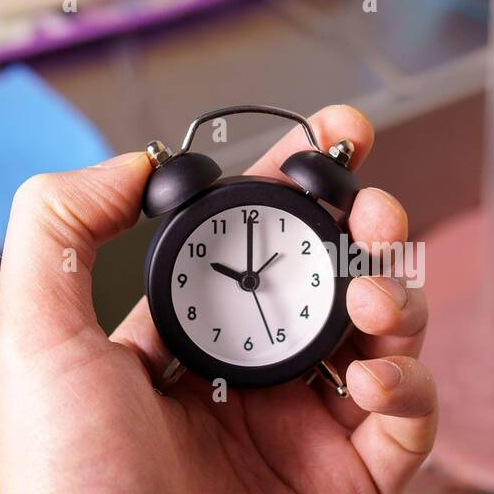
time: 10:00
